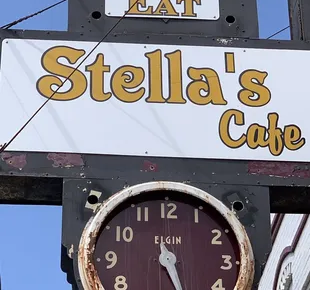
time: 5:26
